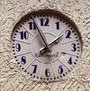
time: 1:56
